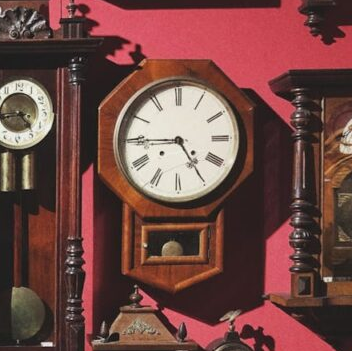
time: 4:44
